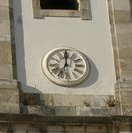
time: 7:00
